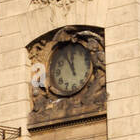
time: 11:55
